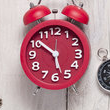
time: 5:51
